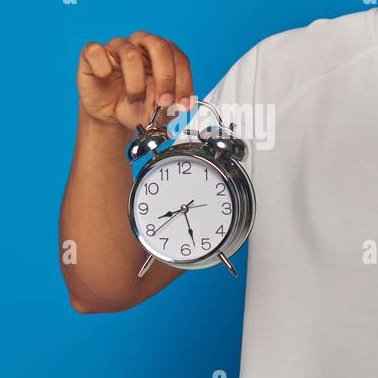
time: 8:27
